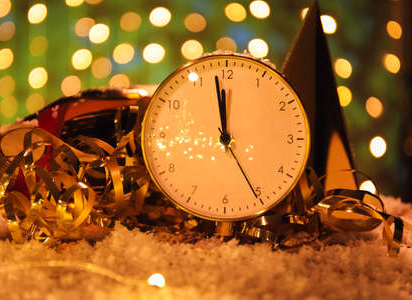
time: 11:58
